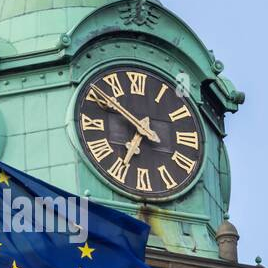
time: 6:51
